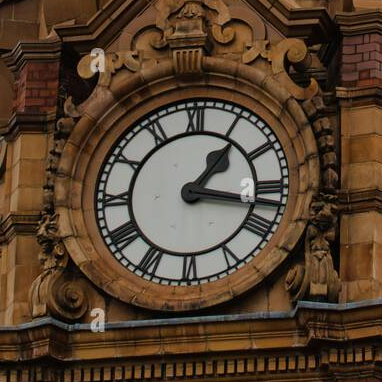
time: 1:17
